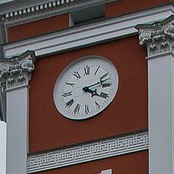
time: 4:12
